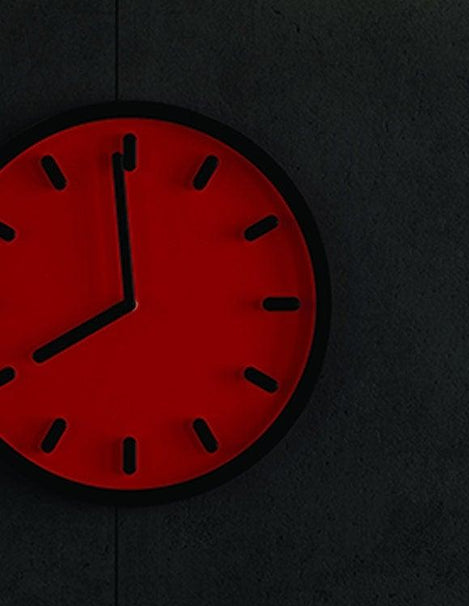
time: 7:59
